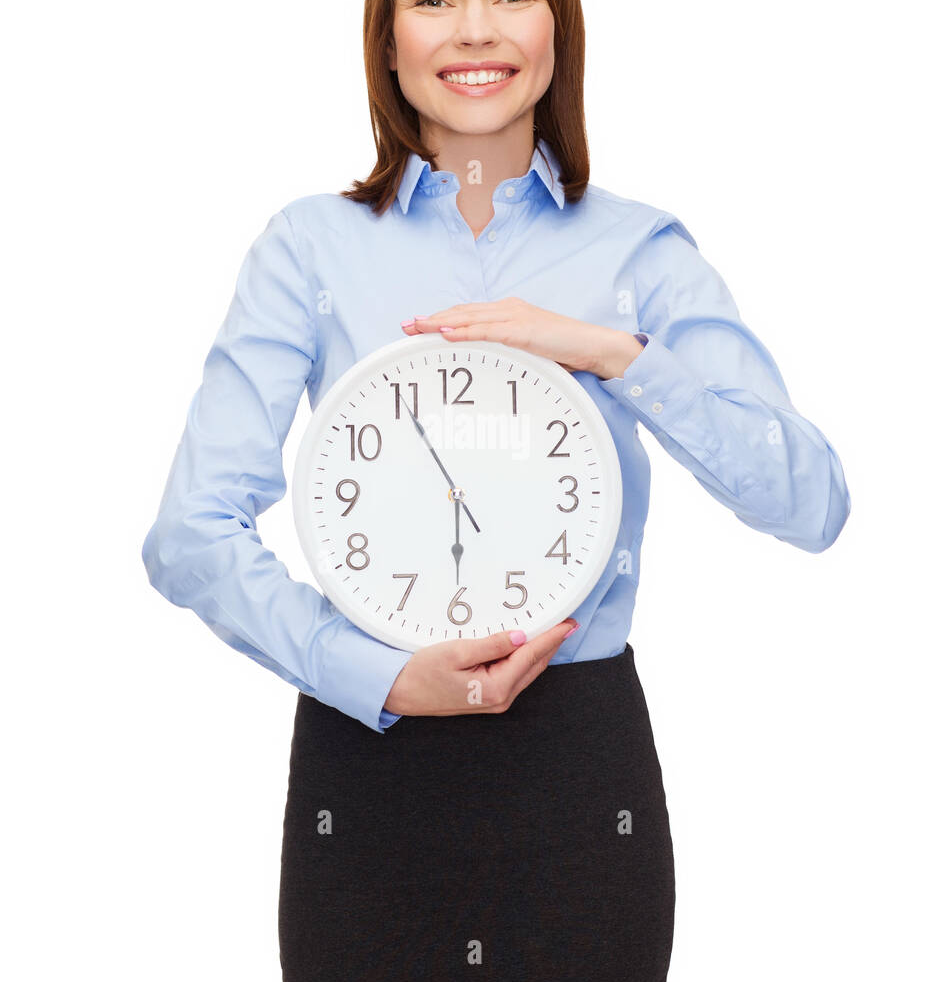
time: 5:55
